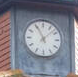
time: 11:07
